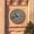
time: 10:42
